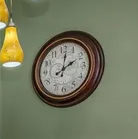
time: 2:01
